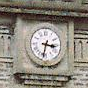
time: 3:32
